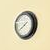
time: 1:38
